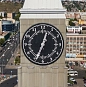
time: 12:34
